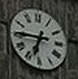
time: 6:45
